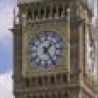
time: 1:24
